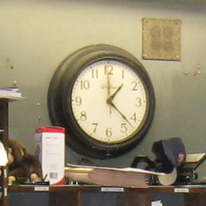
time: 1:22
